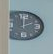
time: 2:00
